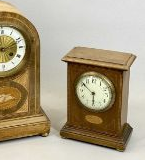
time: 5:51
